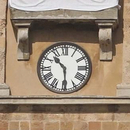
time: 10:29
